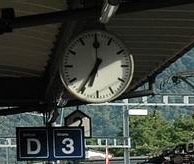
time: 6:36
